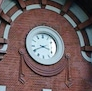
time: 3:40
